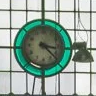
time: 3:22
